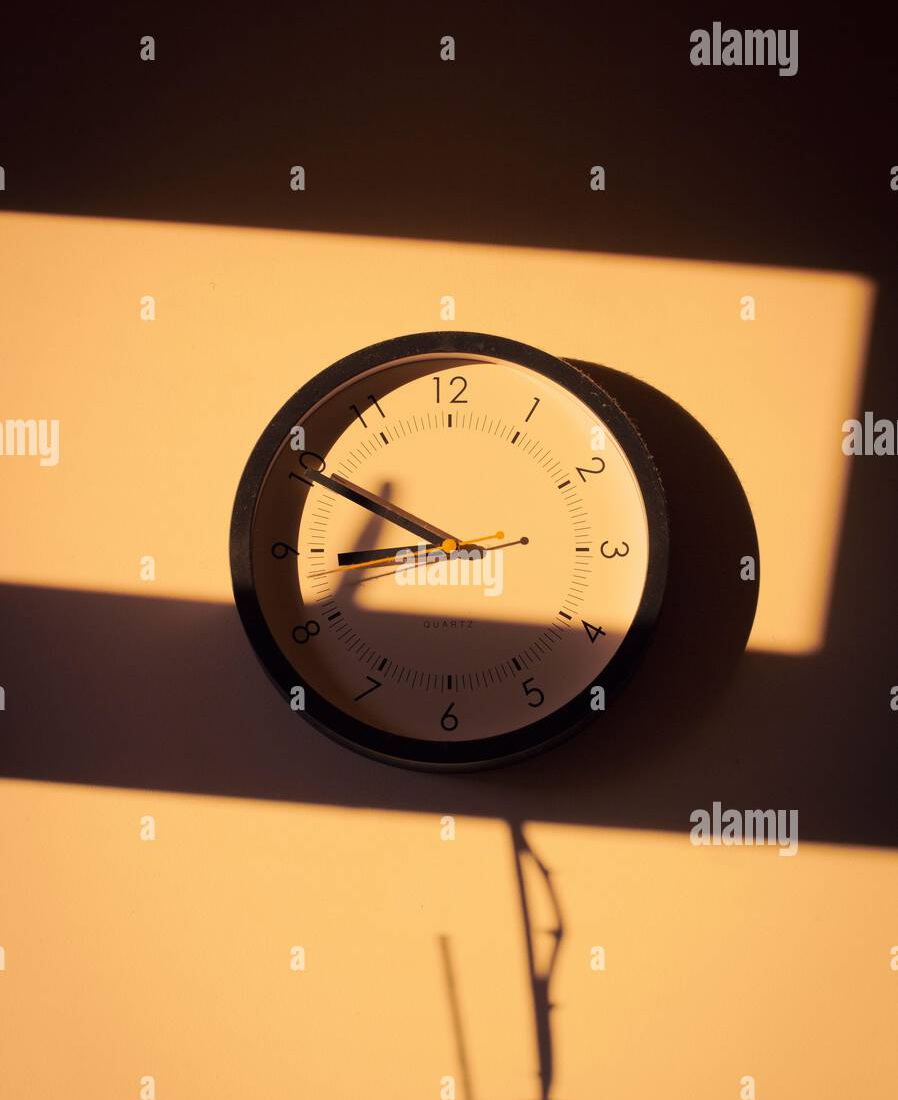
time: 8:49
